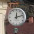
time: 12:12
